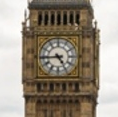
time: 4:44
